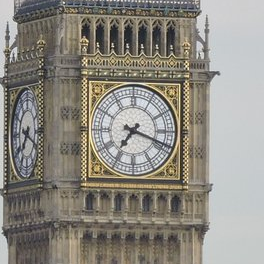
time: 7:18
